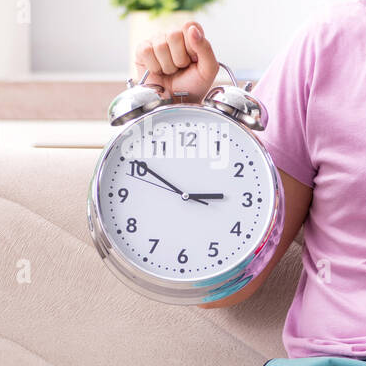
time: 2:50
